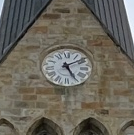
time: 5:09
